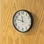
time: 11:47
